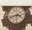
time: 3:42
